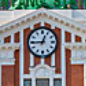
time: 12:44
